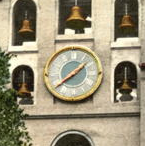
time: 1:39
